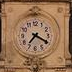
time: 7:19
